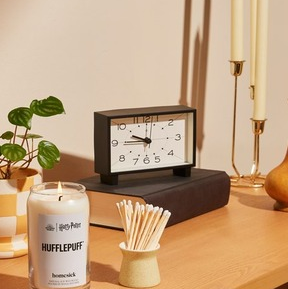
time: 9:45
